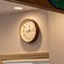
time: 8:12
